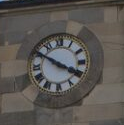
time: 3:50
